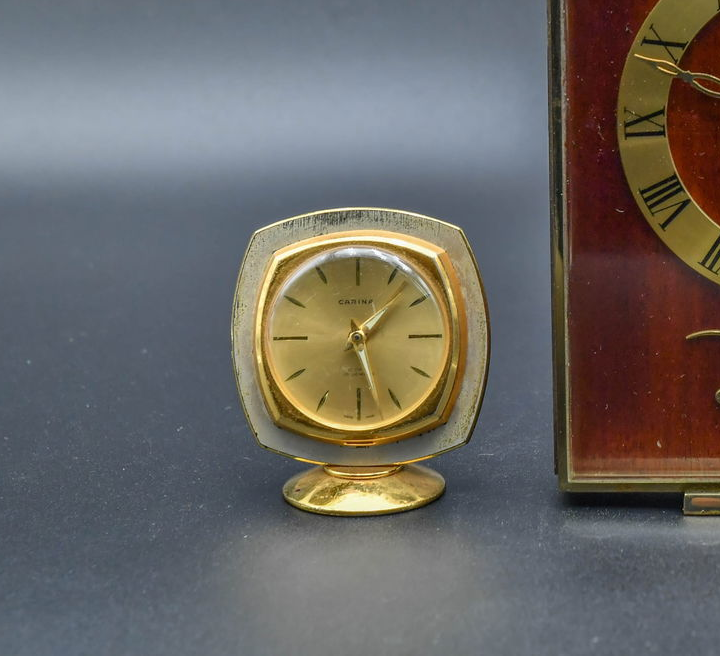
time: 1:27
